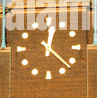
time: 12:22
